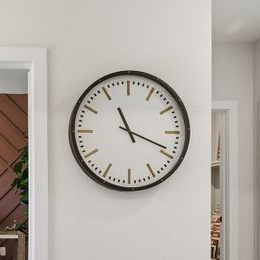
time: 11:18
